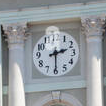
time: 2:30
